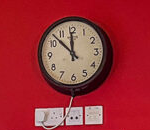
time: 11:52
